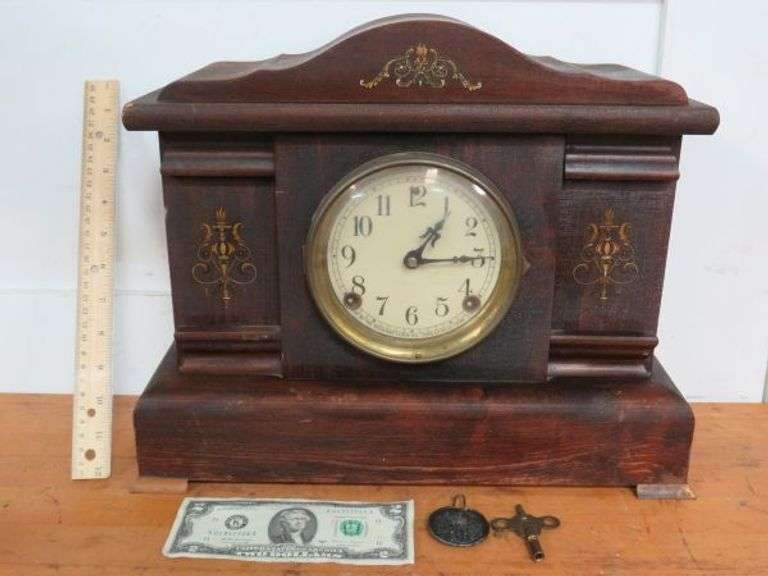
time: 1:14
